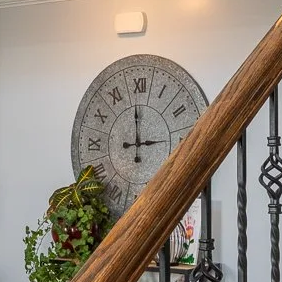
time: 2:58
